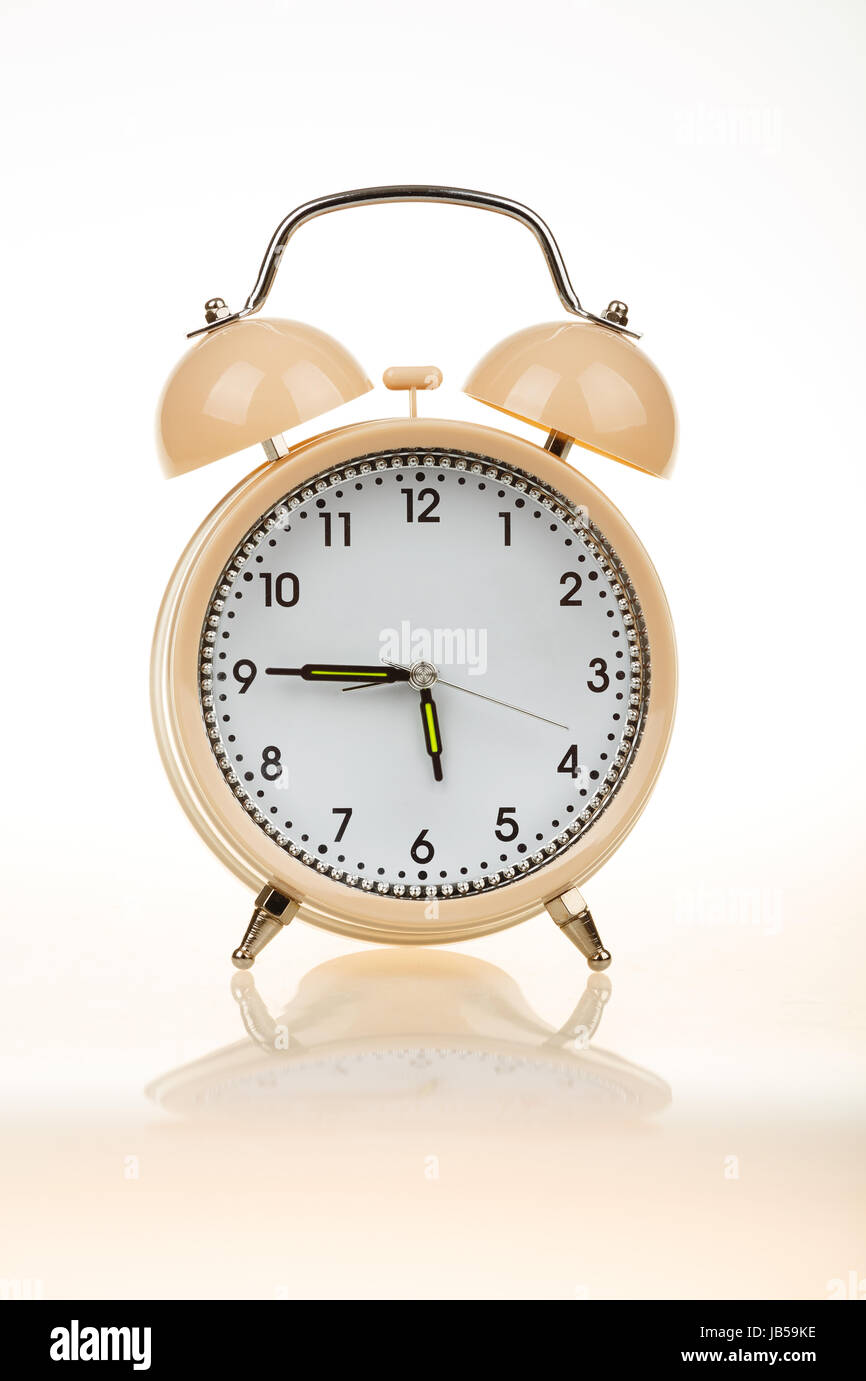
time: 5:45
